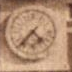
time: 4:36
